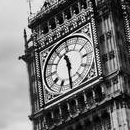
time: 11:30
